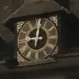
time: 9:01
